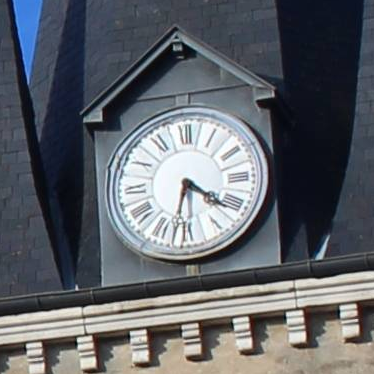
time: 6:21
